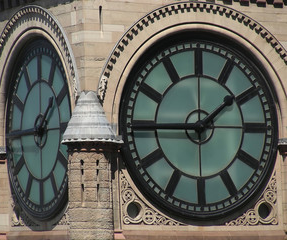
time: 1:45
